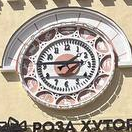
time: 1:45
